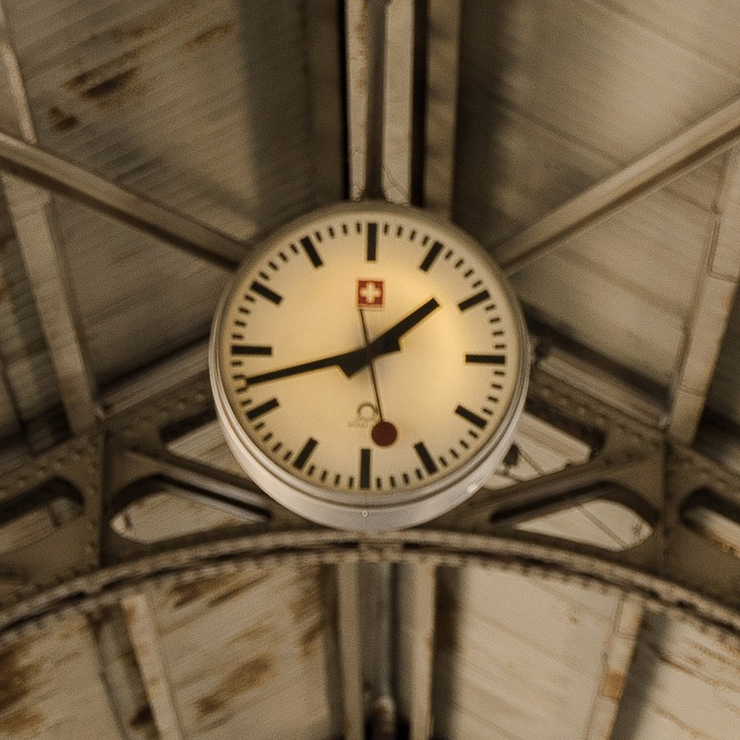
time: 1:42
